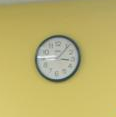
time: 3:06
